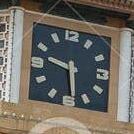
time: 9:29
